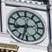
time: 8:32
